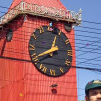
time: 12:39
